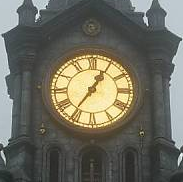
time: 1:05
